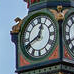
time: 12:40
